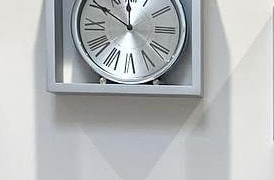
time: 11:50
